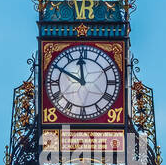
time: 11:49
